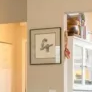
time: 8:12
